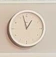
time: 12:57
